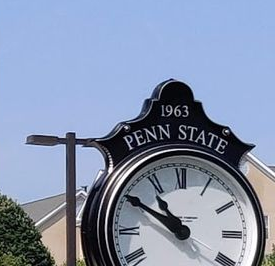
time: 10:50
